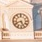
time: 8:26
